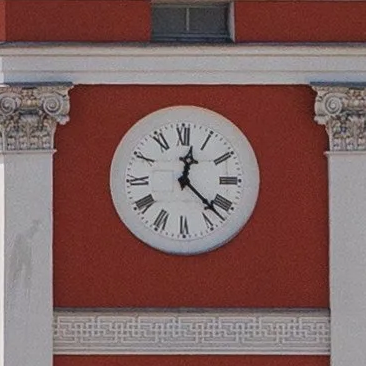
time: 12:22
